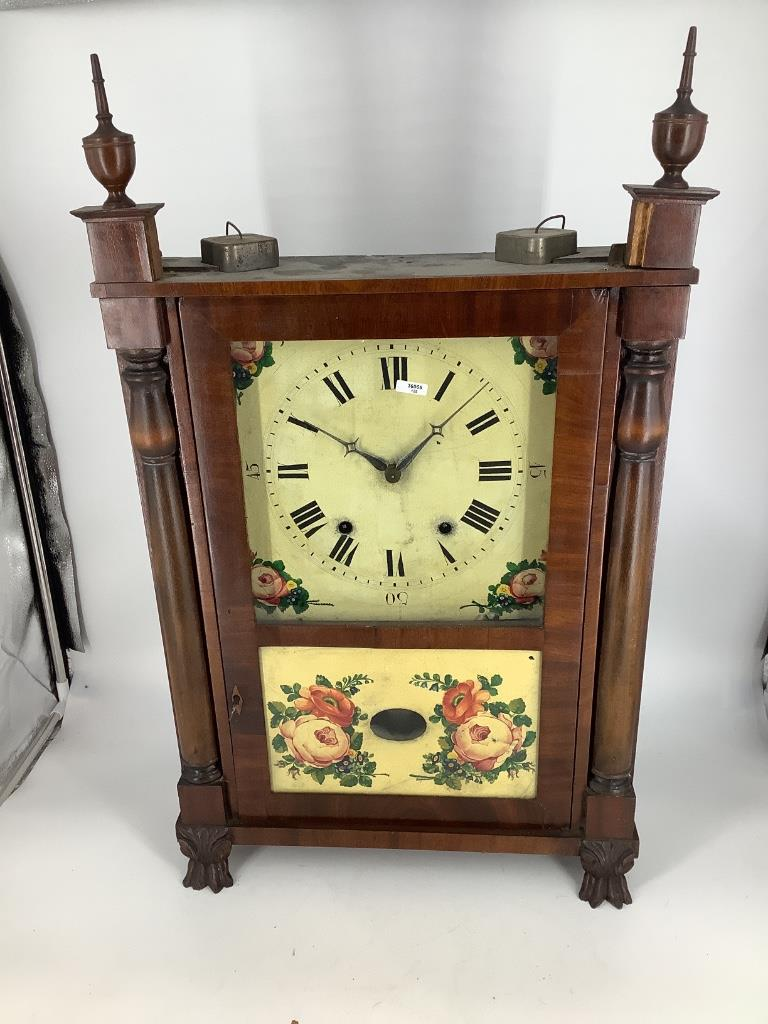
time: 10:07
